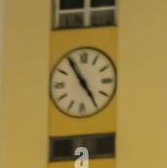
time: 4:54
